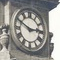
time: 2:49
